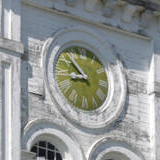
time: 8:52
